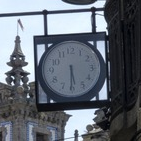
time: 5:30
